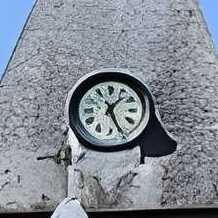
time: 1:26
